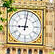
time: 9:01
